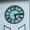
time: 5:14
